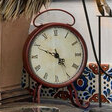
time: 4:49
